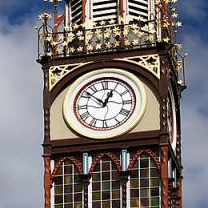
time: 12:52
